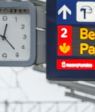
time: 12:23
